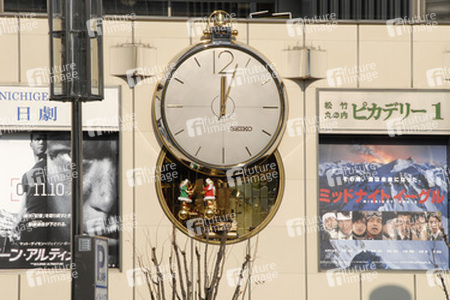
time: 12:02
